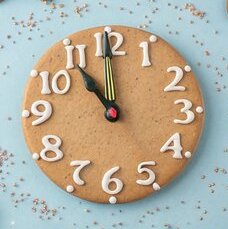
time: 10:59
